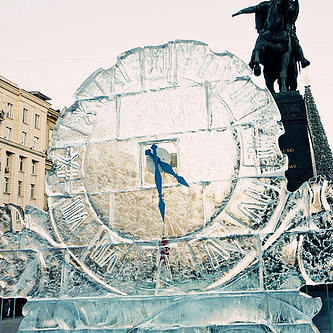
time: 4:29
